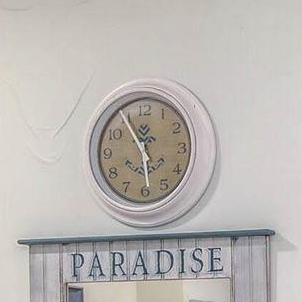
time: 5:55
